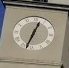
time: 12:32
